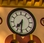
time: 7:31
